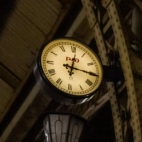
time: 12:15
